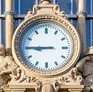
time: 8:45
